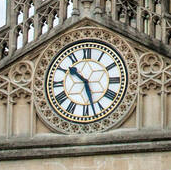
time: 10:27
